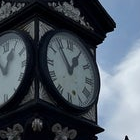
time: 12:54
